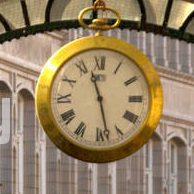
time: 11:28
